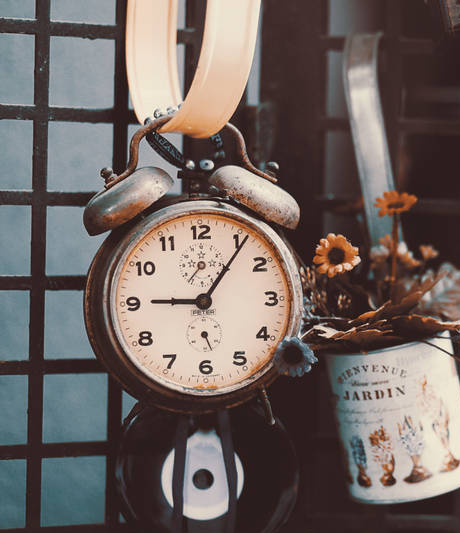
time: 9:06
